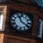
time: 11:19
